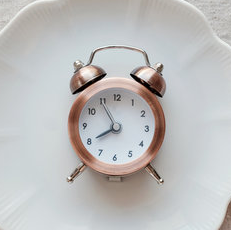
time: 7:54
